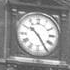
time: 10:24
